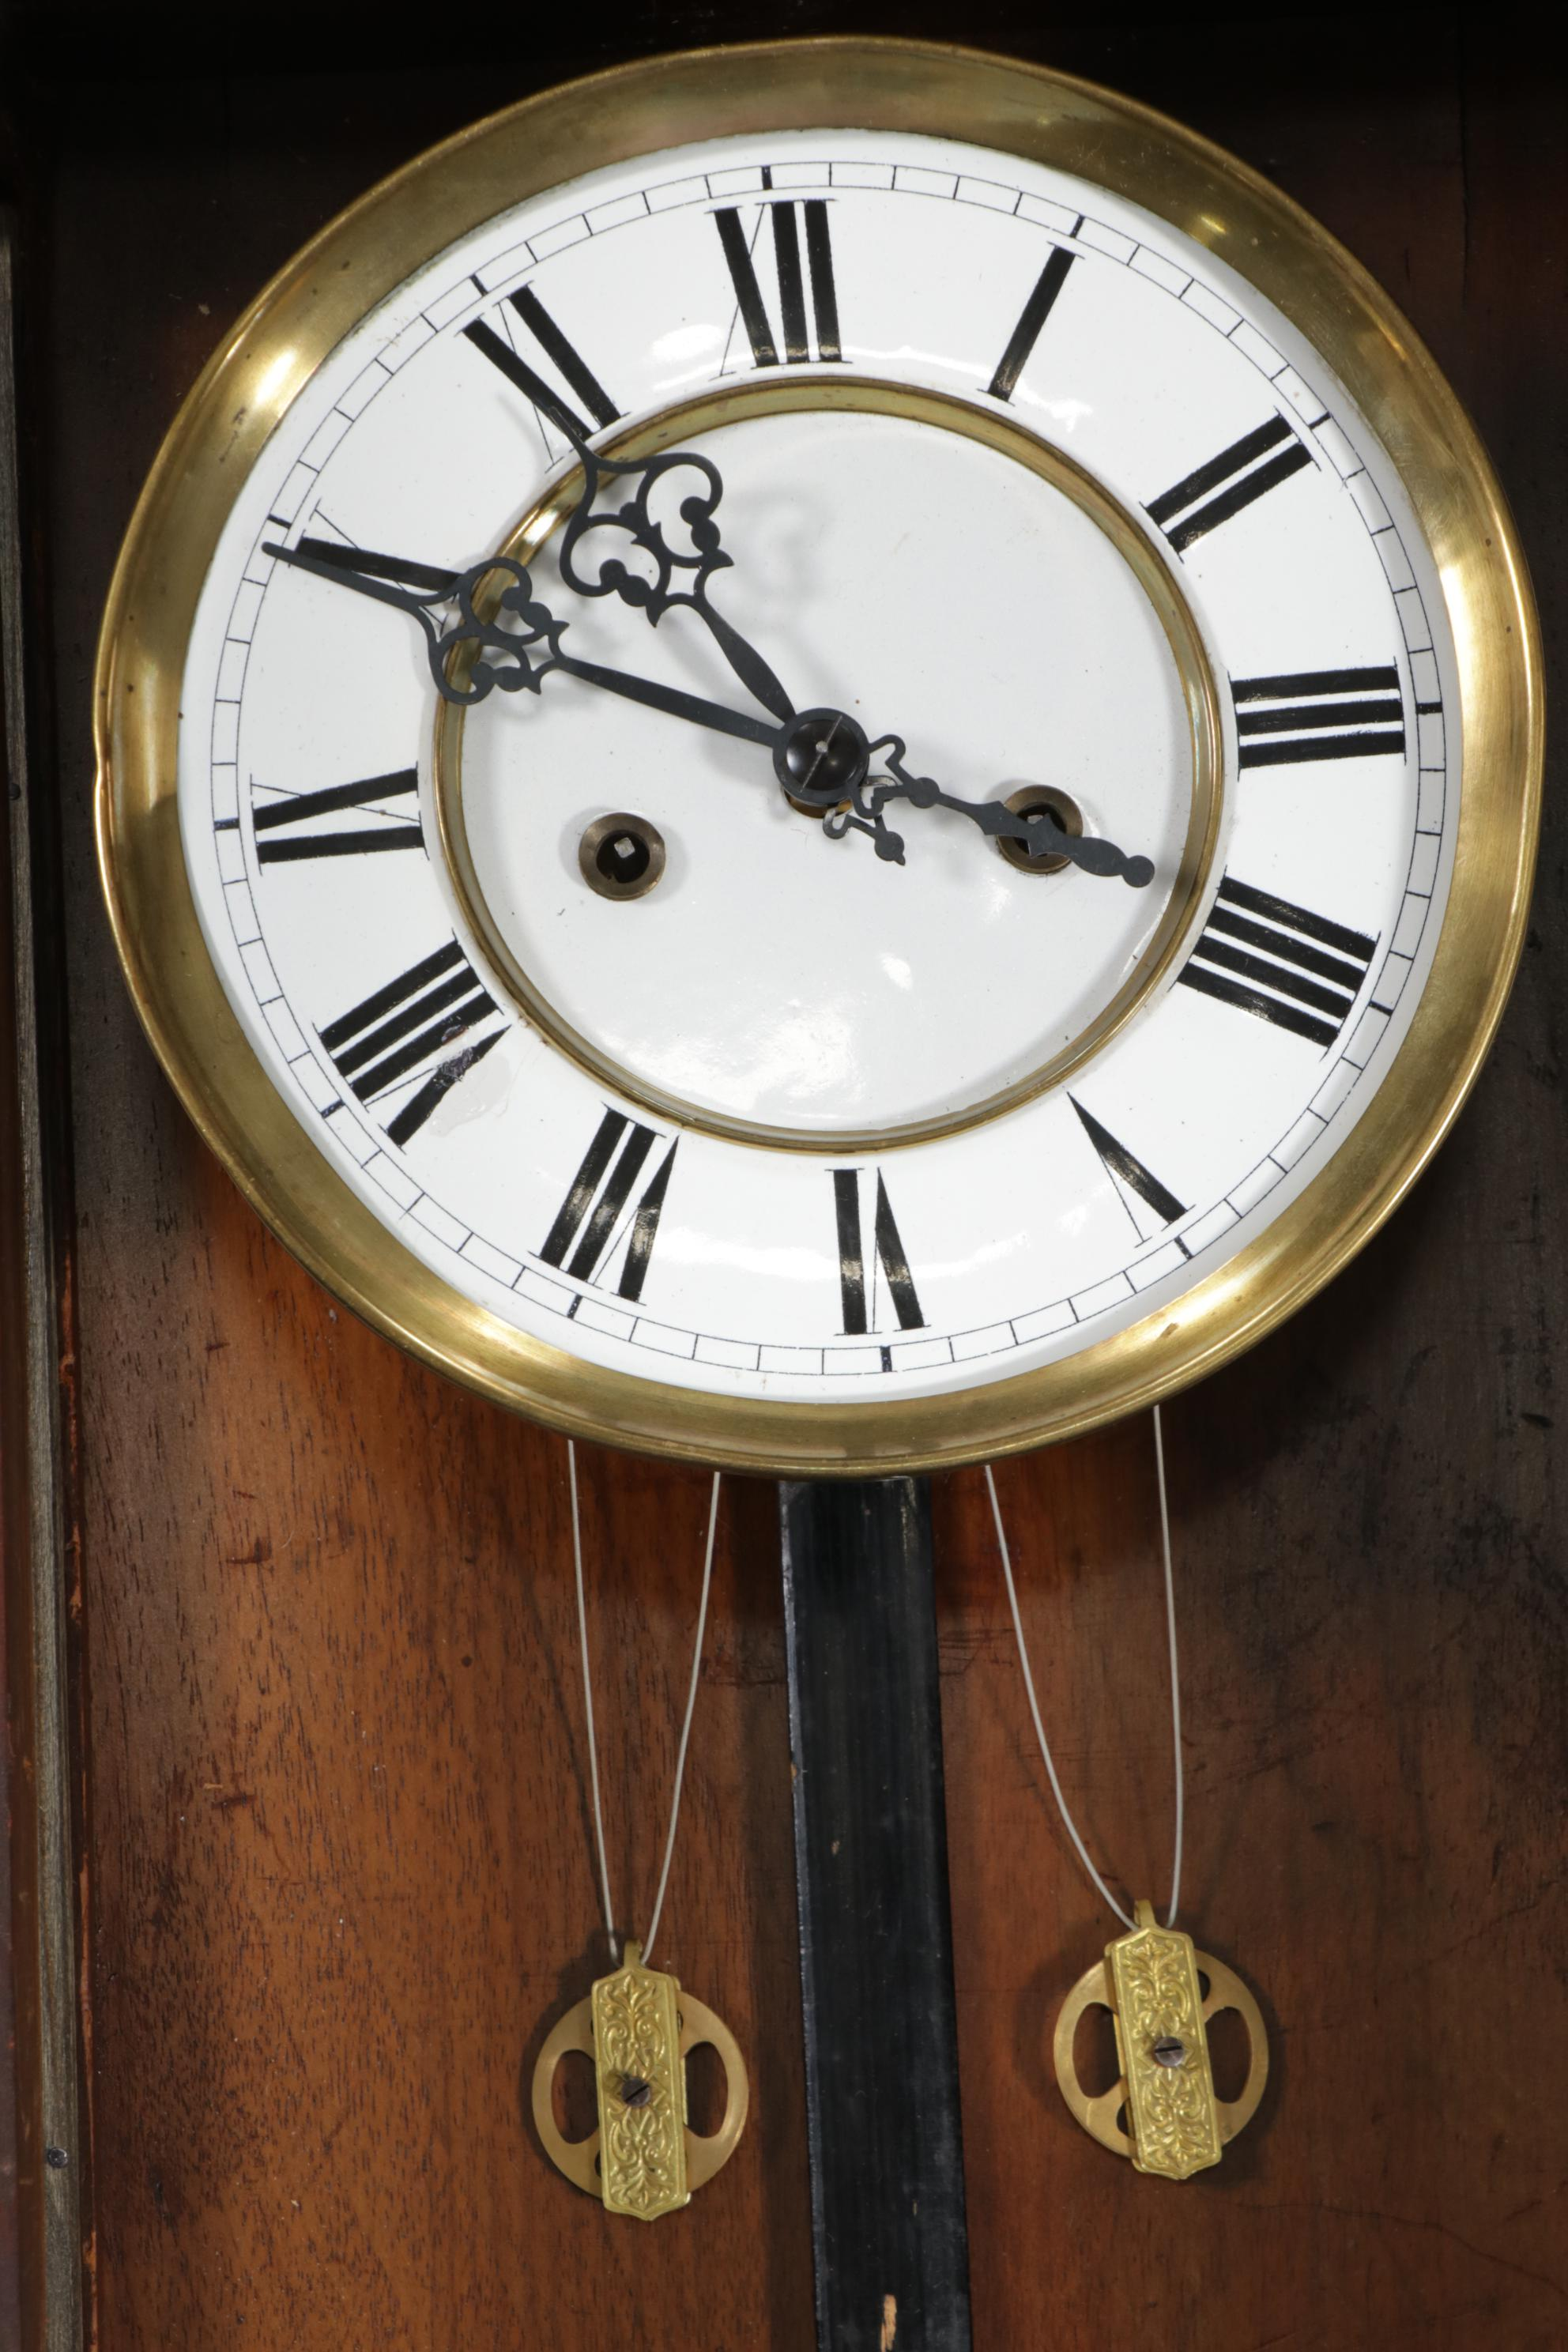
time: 10:49
